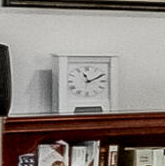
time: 11:10
